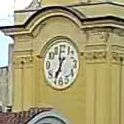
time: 6:58
